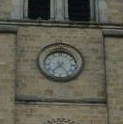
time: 7:23
